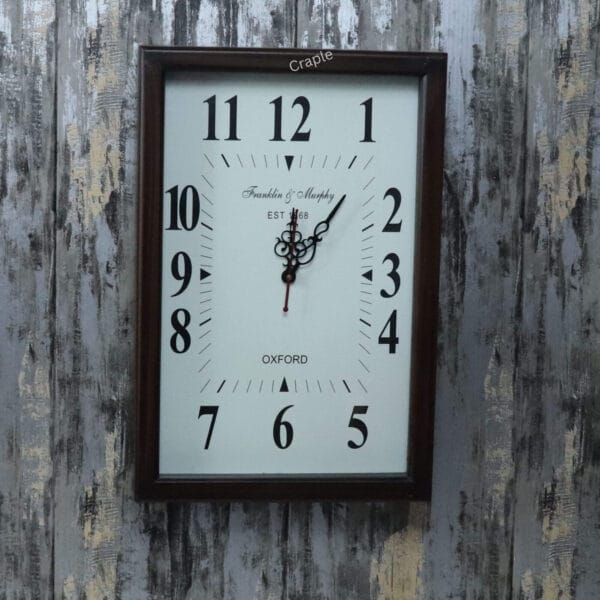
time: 12:06
